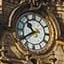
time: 10:39
